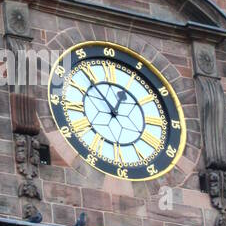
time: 12:53
